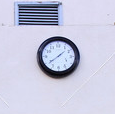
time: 1:39
